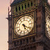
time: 5:21
